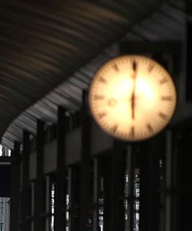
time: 6:00
